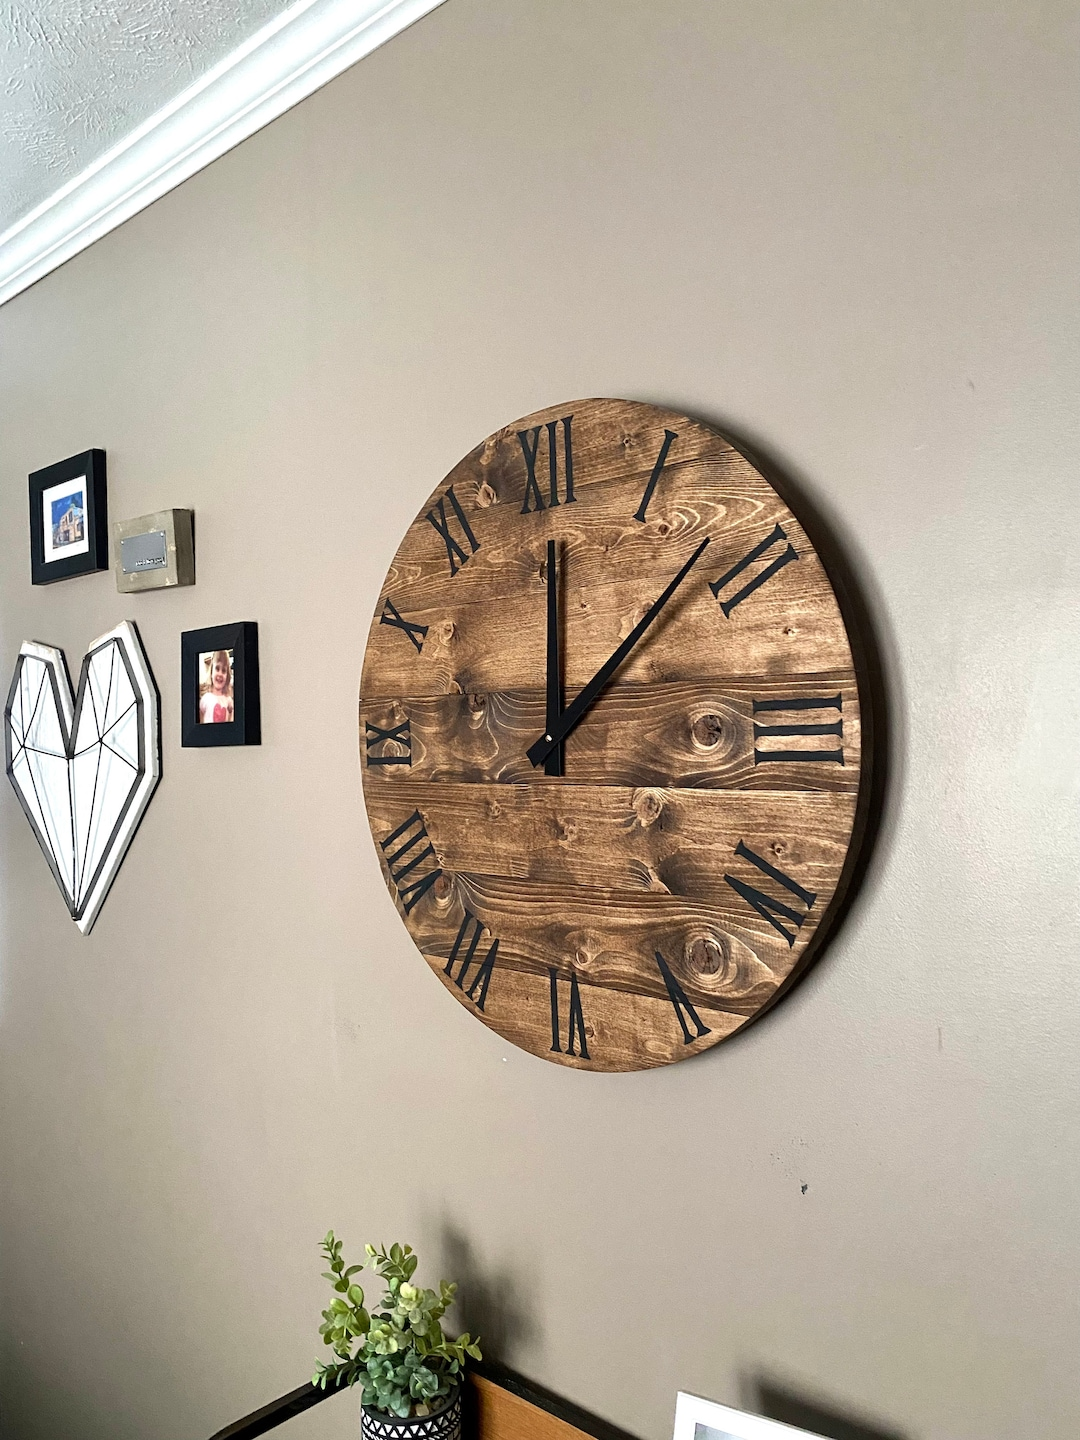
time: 12:07
